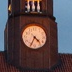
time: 4:34
